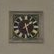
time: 1:28
